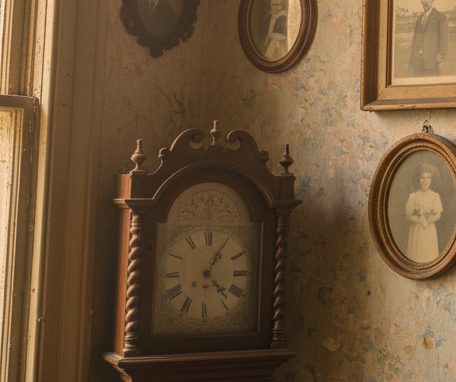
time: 1:22
